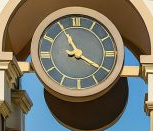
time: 11:20
